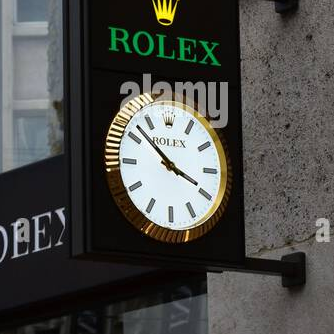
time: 3:52
